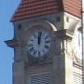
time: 12:02
